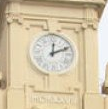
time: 12:10
